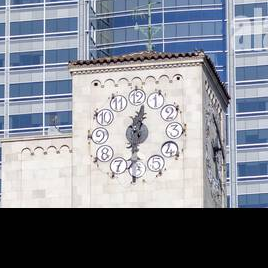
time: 12:30
